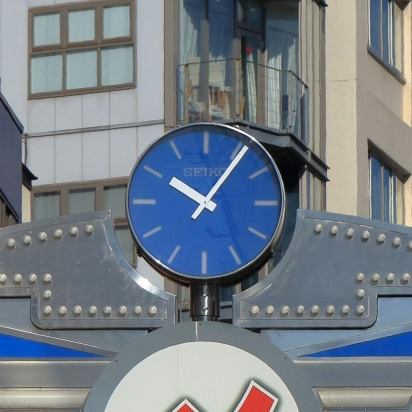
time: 10:05
